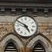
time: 4:50
